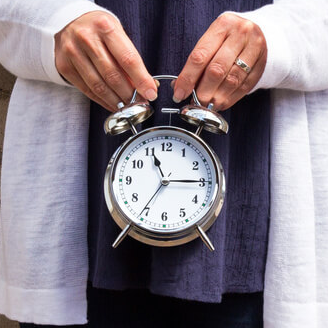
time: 11:14
